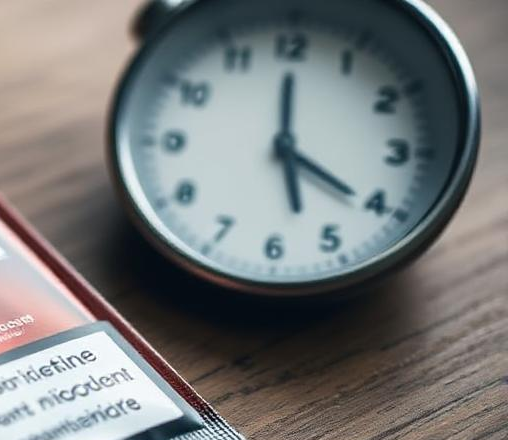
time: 5:20
